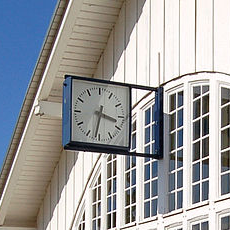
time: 3:32
